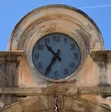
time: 10:35
